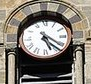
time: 5:21
